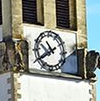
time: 10:39
